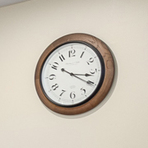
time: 3:20
